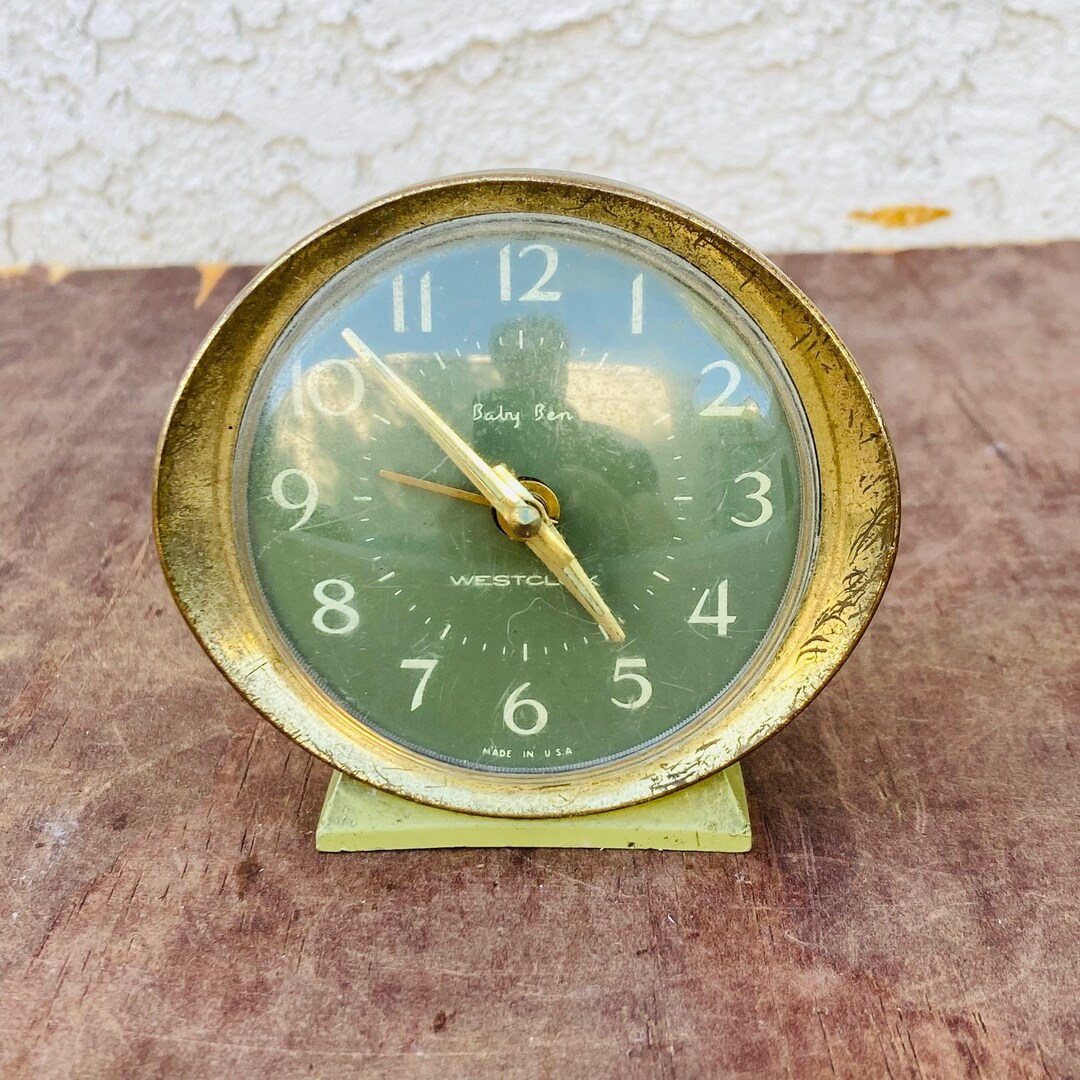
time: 4:52
